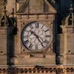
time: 10:24
